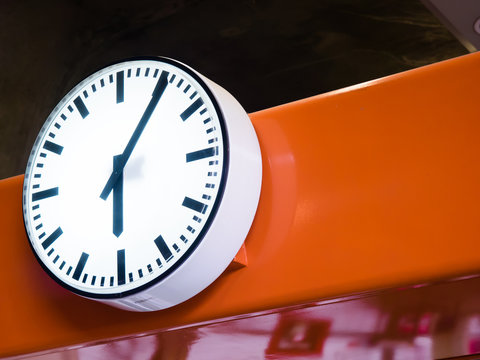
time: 6:05
